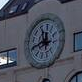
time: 11:41
